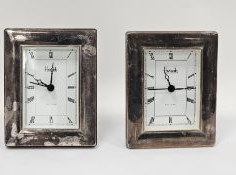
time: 11:14
